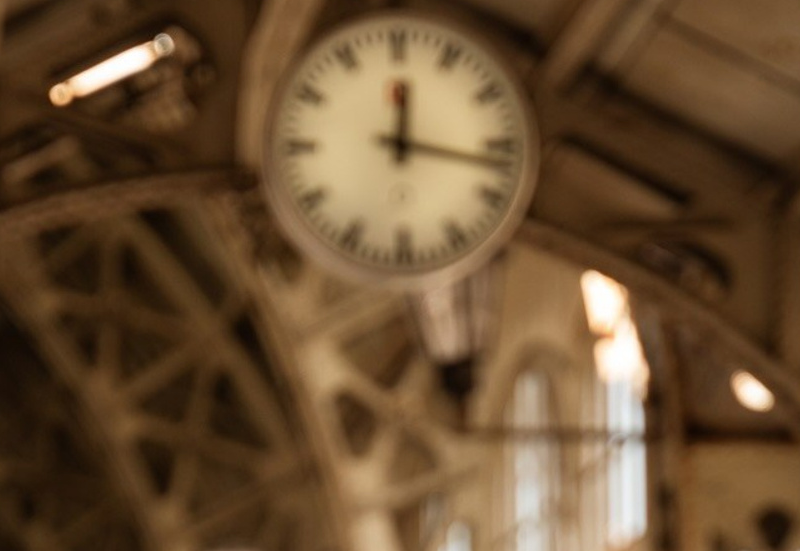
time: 12:17
